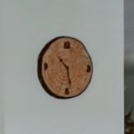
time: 10:28
